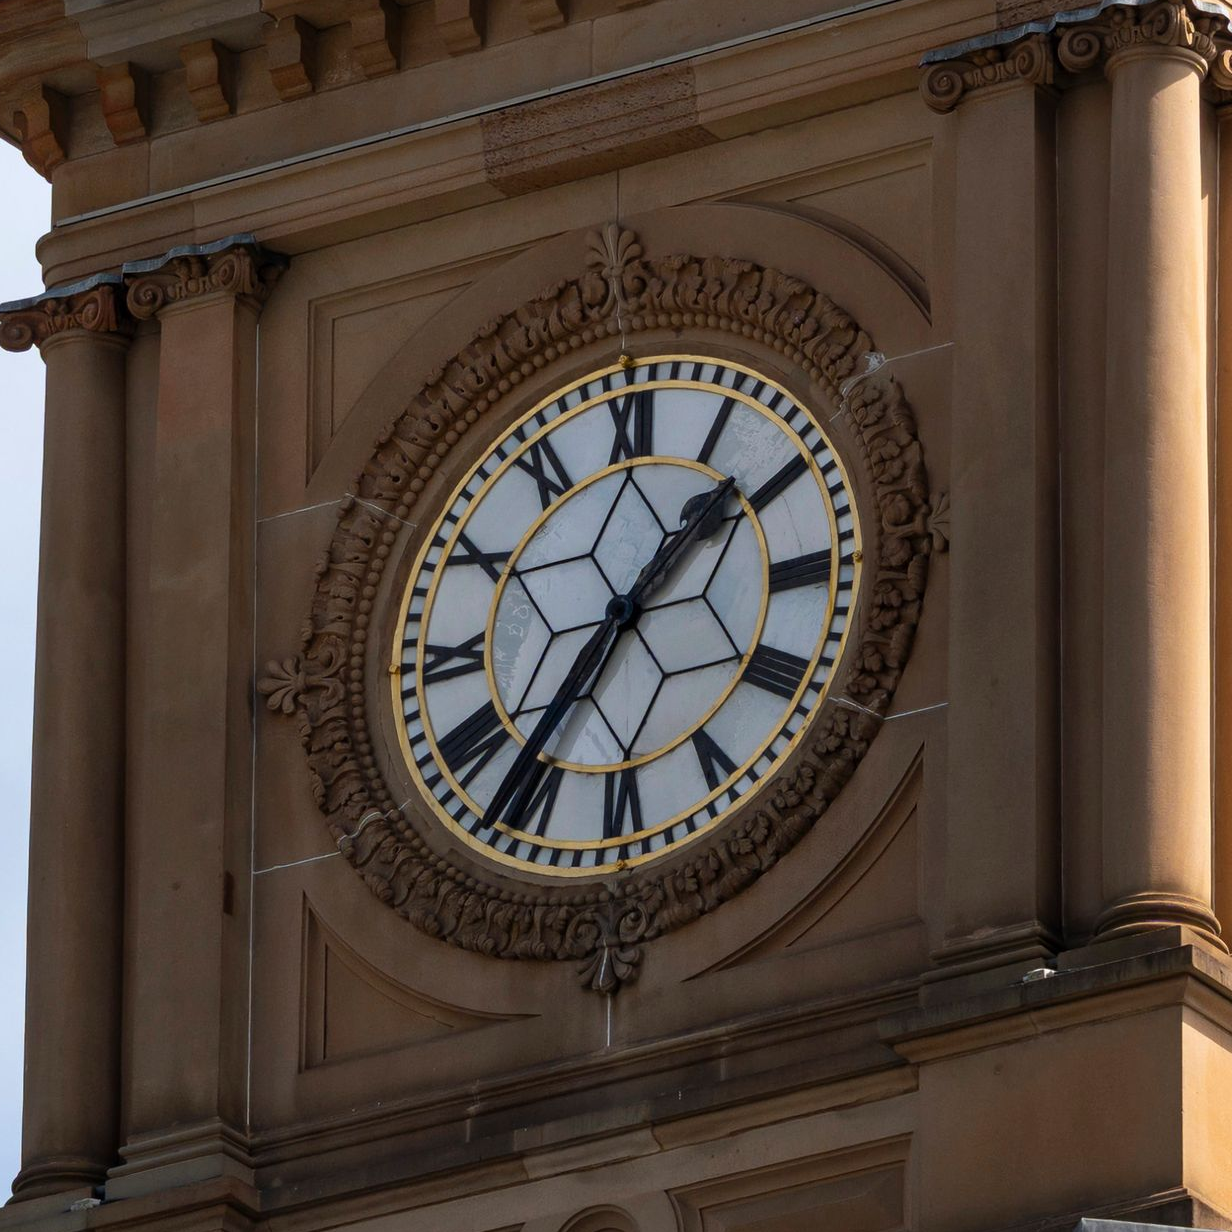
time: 1:36
